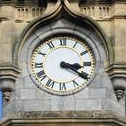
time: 3:20
